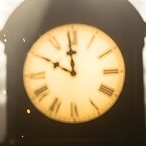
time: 9:58
